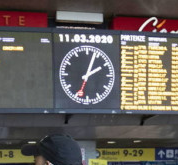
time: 2:03
